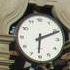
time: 6:11
